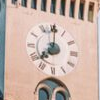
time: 7:00
